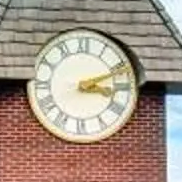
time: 3:11
